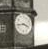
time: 3:43
